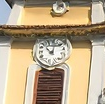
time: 10:02
